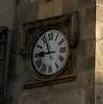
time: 8:56
